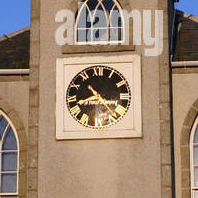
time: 10:42
